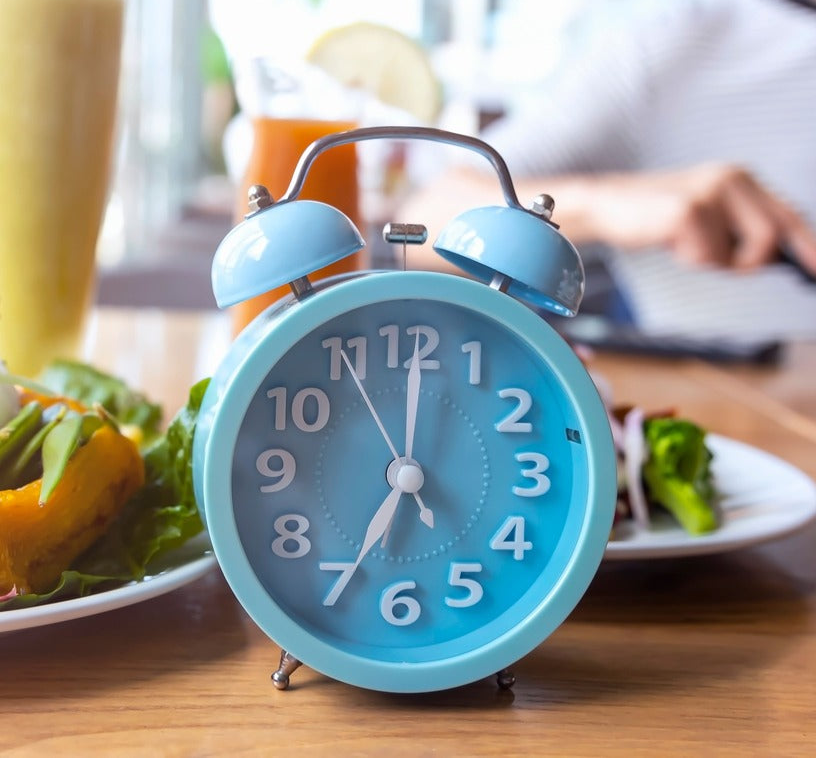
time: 7:00
